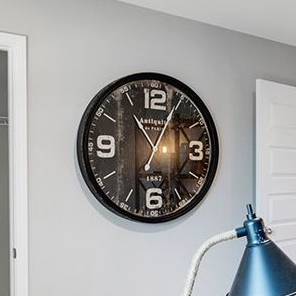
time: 11:04
